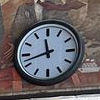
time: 11:42
